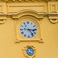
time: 3:23
